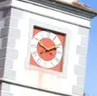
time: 10:11
